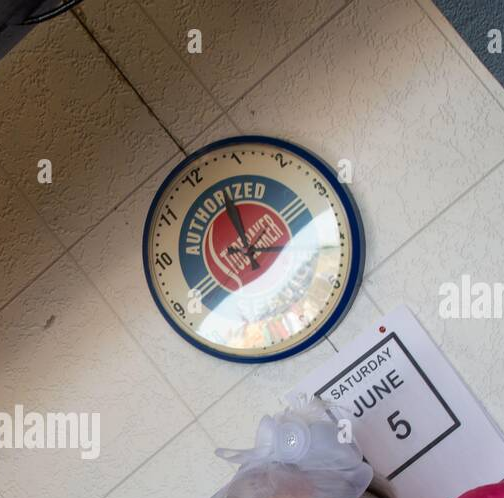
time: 2:57
